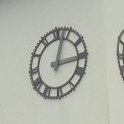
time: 3:02
